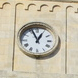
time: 12:56
